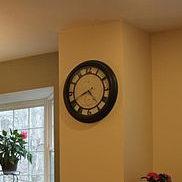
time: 8:23
